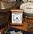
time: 4:38
